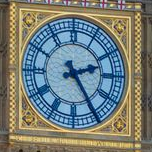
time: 2:24
